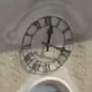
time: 12:18
